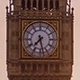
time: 7:28
